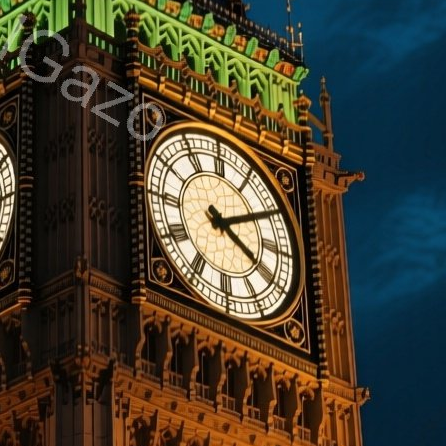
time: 4:09
